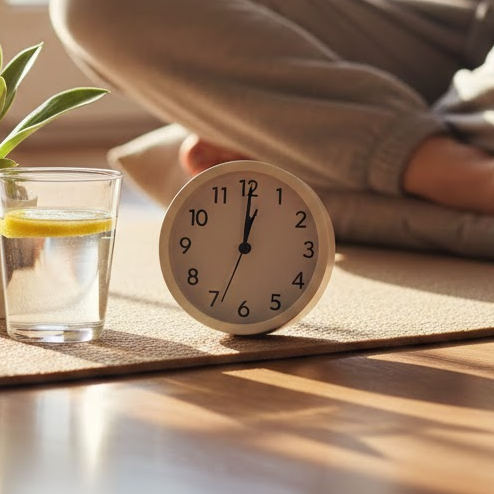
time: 12:00
